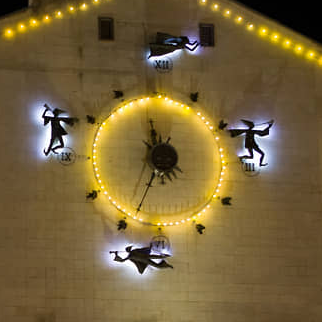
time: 11:33
